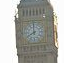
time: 7:59
